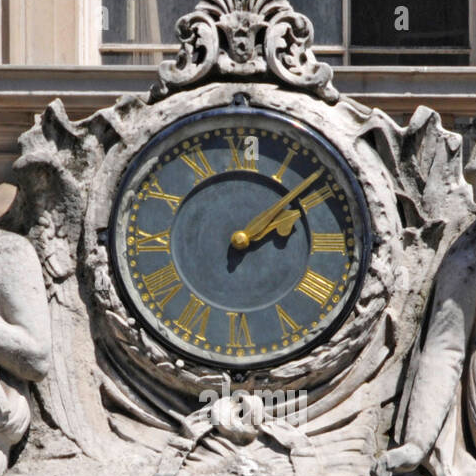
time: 2:08
